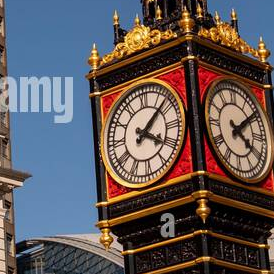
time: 4:08
